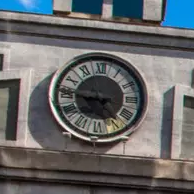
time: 4:45
